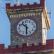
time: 10:30
